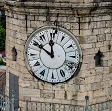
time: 11:50
